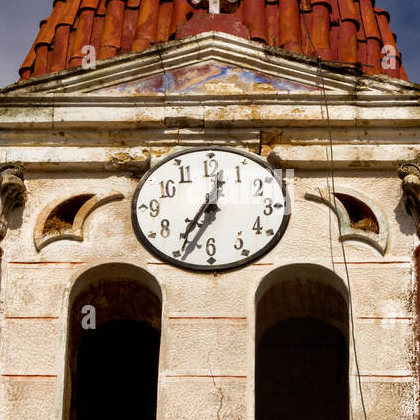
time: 12:34
